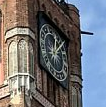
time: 12:07
